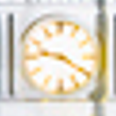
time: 9:20
